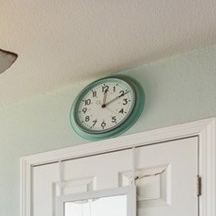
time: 12:10
